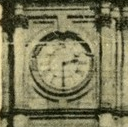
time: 2:29
